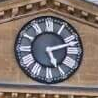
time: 5:11
